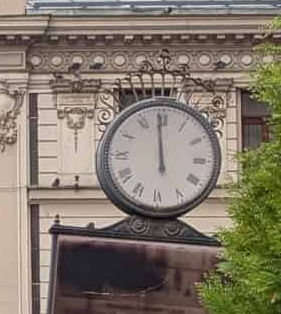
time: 11:59
